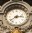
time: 2:38
